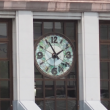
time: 1:56
